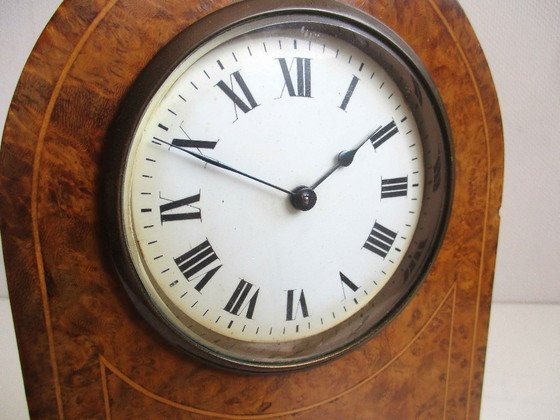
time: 1:49
